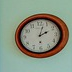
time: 2:02
